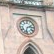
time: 2:32
